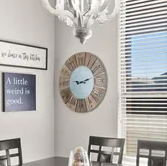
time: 9:12
